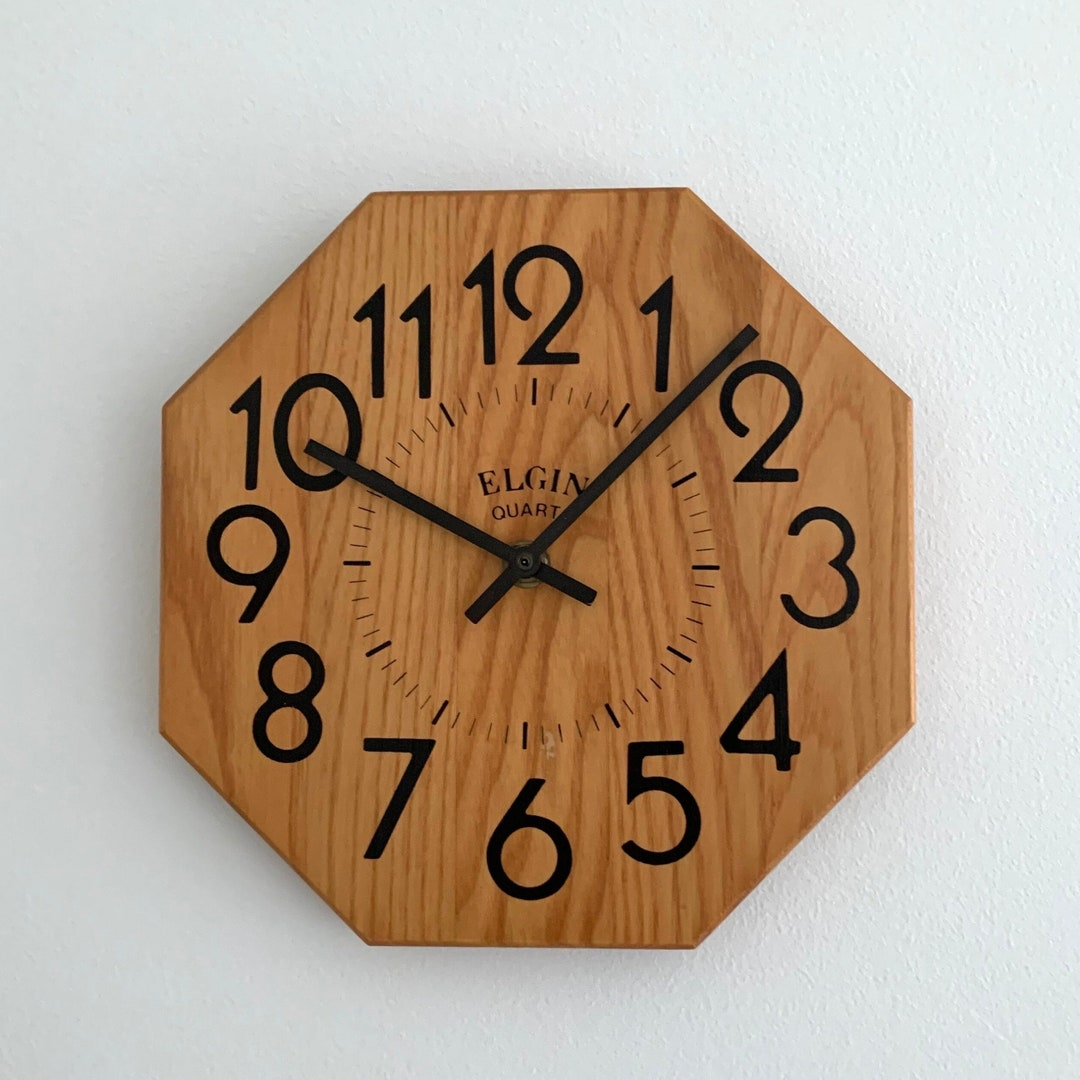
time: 10:07
